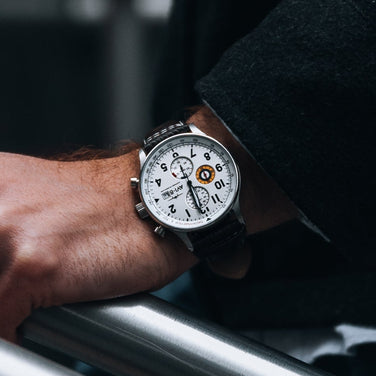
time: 5:26
